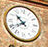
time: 10:39
